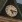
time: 5:15
